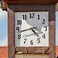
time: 4:42
